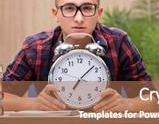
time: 7:07
